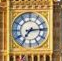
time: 7:14
